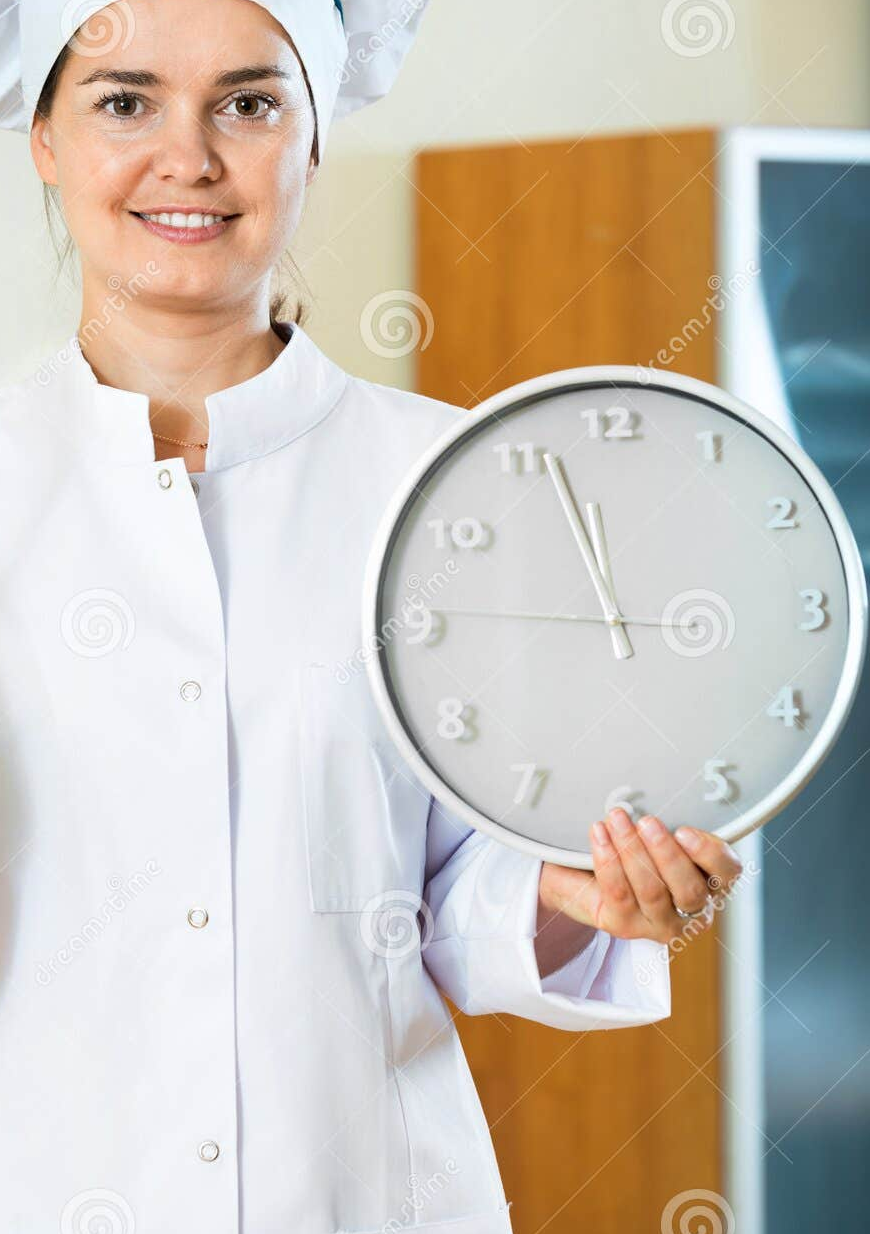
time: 11:56
